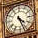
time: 4:26
